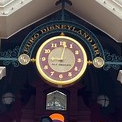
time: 9:01
